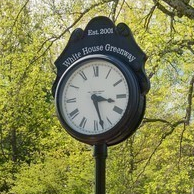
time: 3:27
